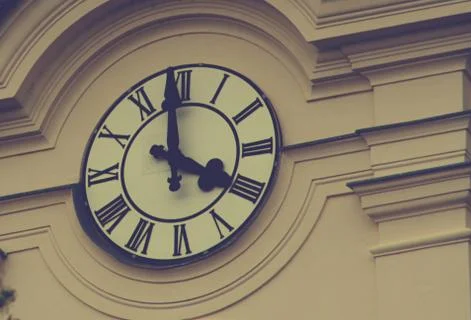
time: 3:58
